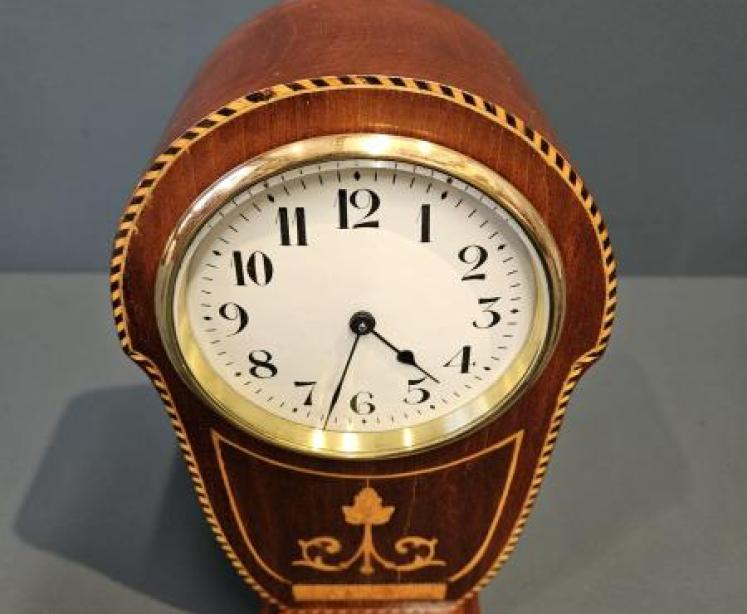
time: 4:32
